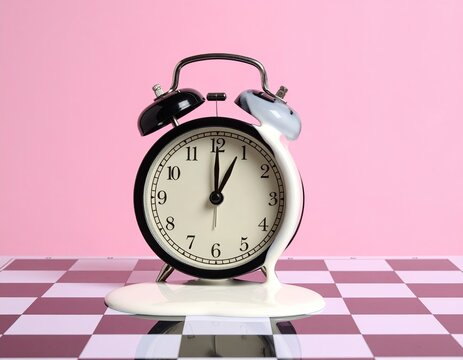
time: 1:00
